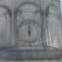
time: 5:59
